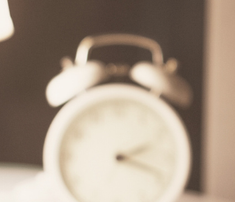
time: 2:18
